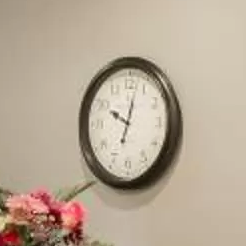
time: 10:02
